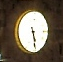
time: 5:28
